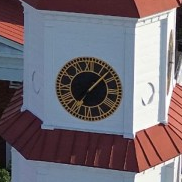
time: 7:07
